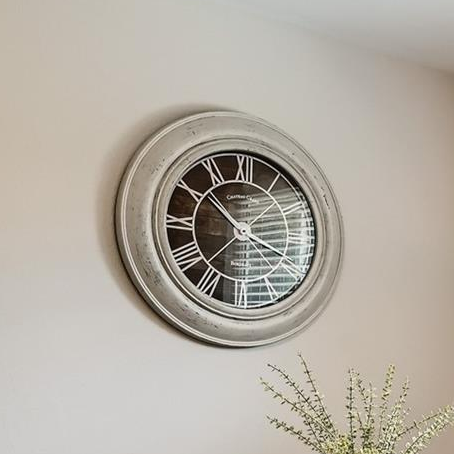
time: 3:51
